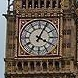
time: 4:04
